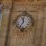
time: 11:34
